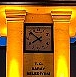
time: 7:51
